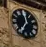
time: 11:35
